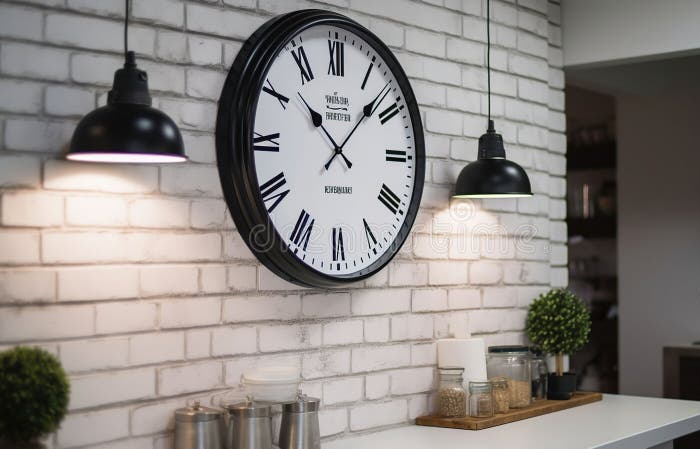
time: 10:07
